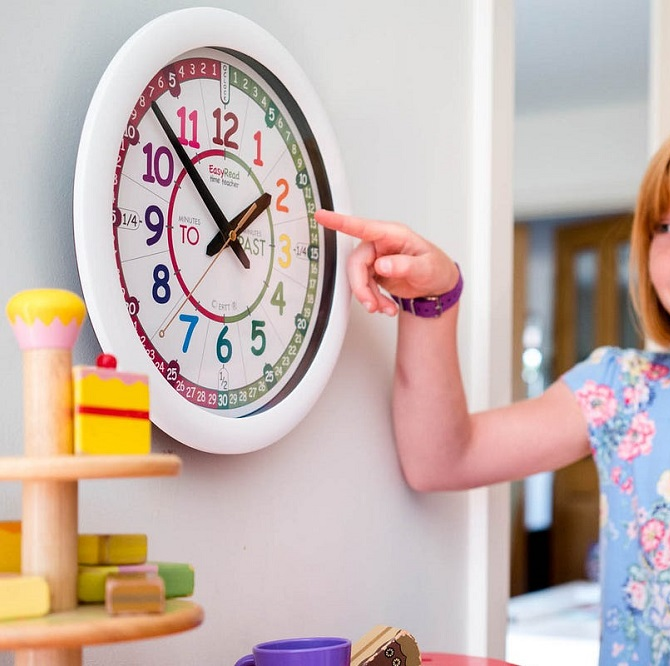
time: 1:52
